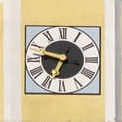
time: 6:47
